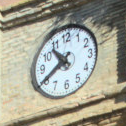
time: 10:40
